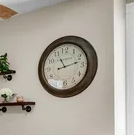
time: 11:13
